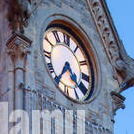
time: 4:35
